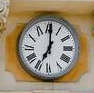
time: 7:00
